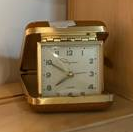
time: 7:50
